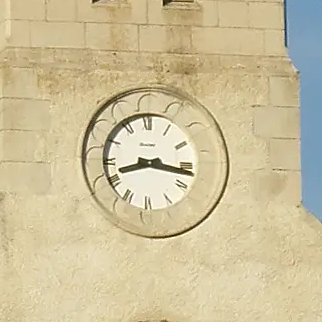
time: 8:16
